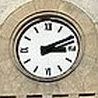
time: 3:11
